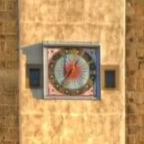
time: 12:36
